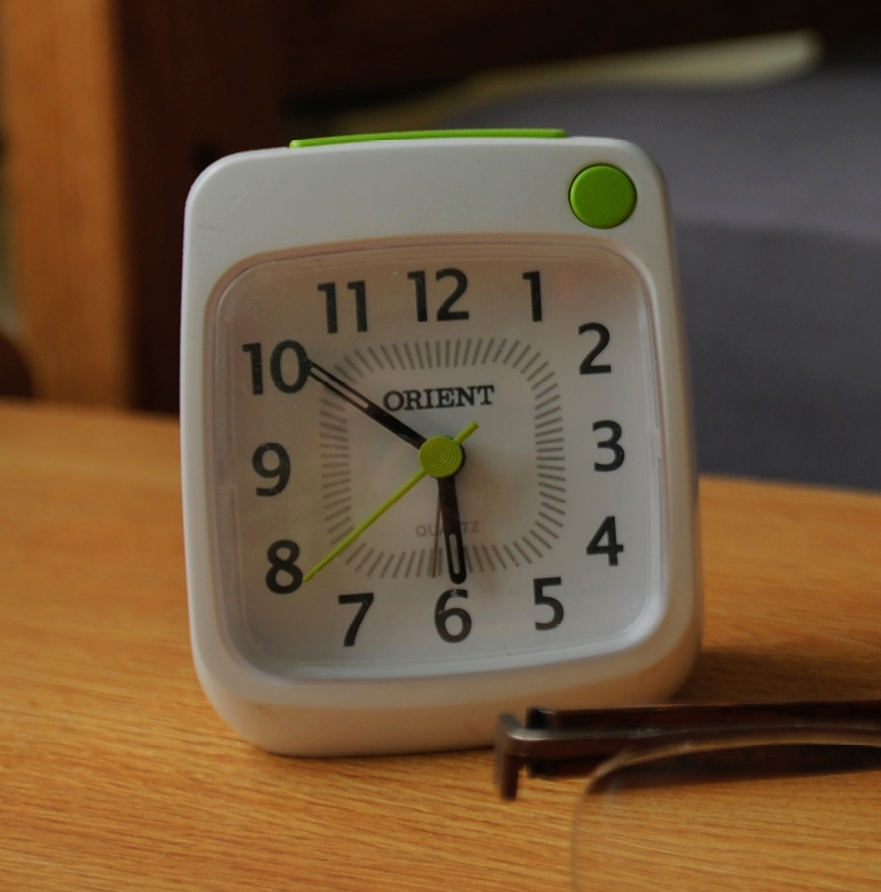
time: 5:50
